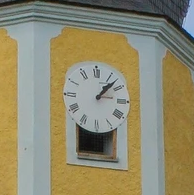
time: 1:07
